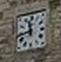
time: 11:43
